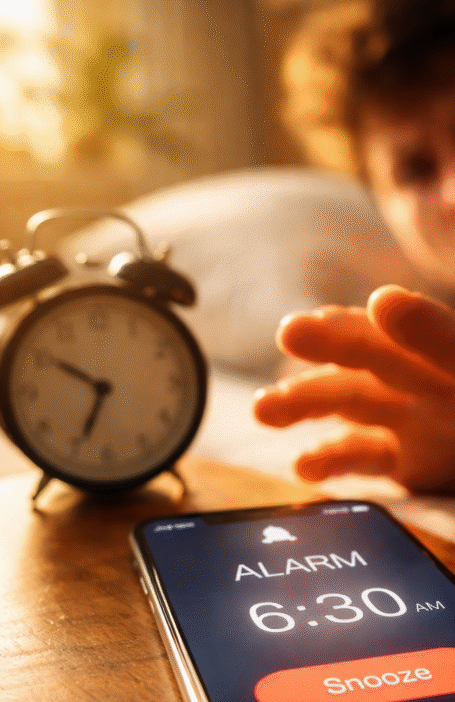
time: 6:50
